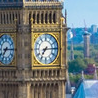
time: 7:14
